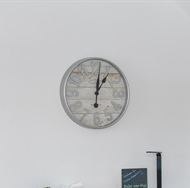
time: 1:01
